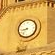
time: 8:36
